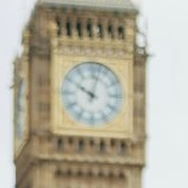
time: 10:02
